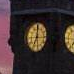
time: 7:00
